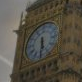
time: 5:30
